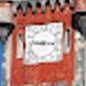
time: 9:17
